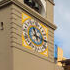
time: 11:17
